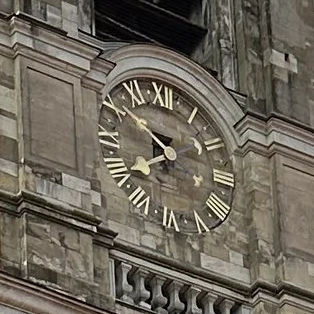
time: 7:51
